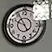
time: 9:55
